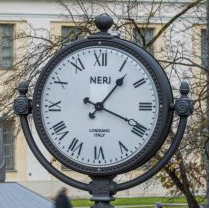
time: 1:18
